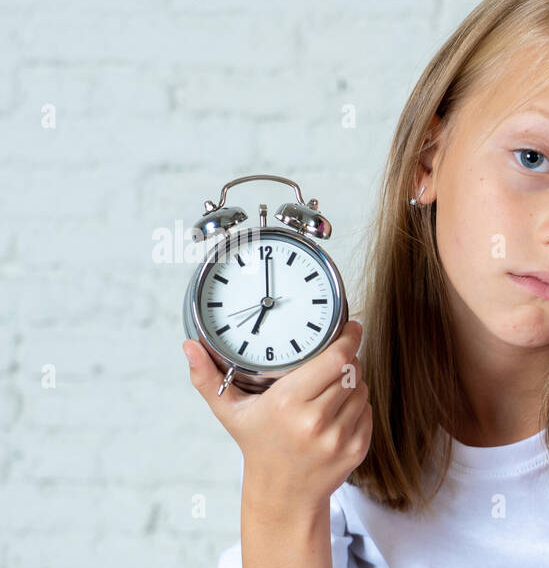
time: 7:00
